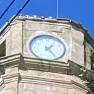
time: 1:24
